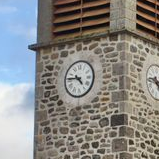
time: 4:45
